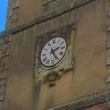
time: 2:24
